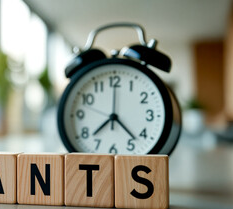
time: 7:22
